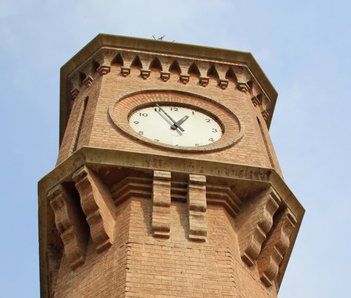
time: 12:55
